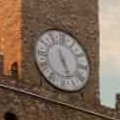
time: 5:26
